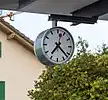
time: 7:22
